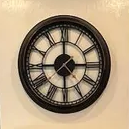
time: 2:59
